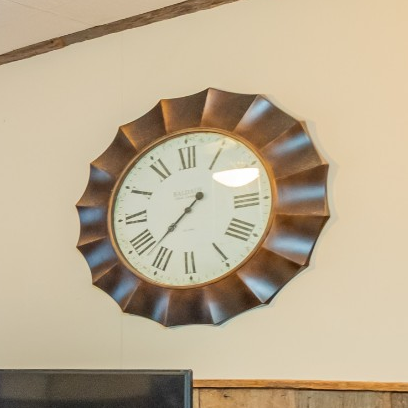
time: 7:37
